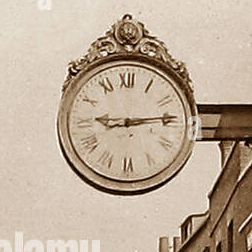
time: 9:13
